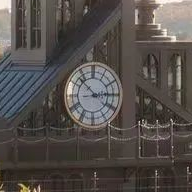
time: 2:52
